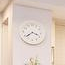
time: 3:38
